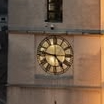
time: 4:46
